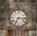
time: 7:15
